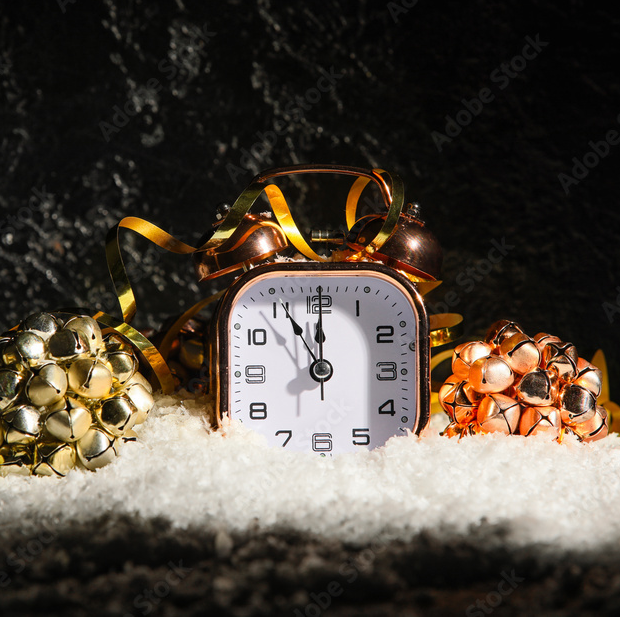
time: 11:00
